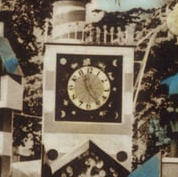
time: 11:23
